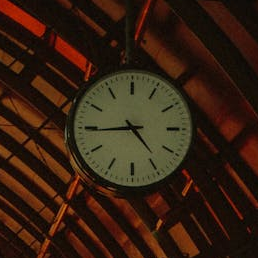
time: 4:44
